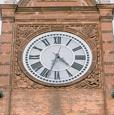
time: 4:33
